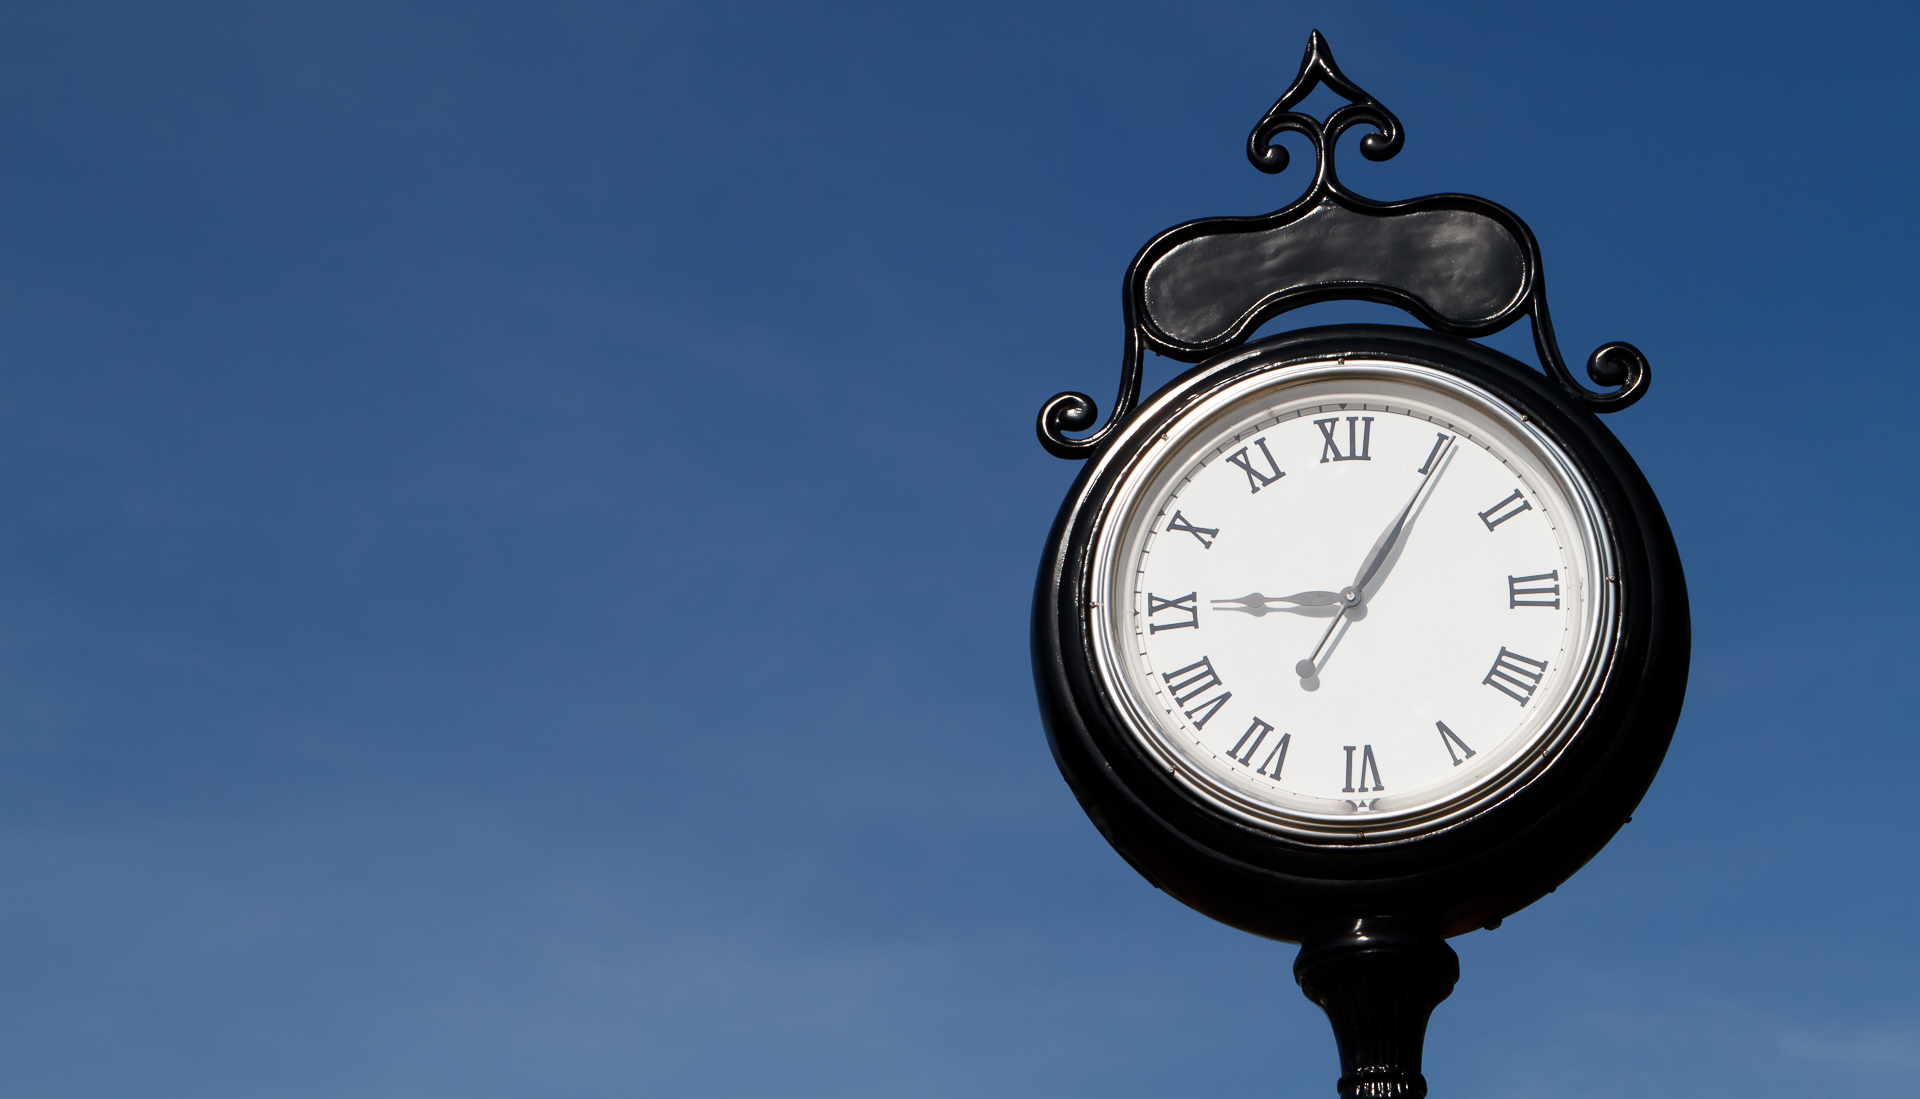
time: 9:05
